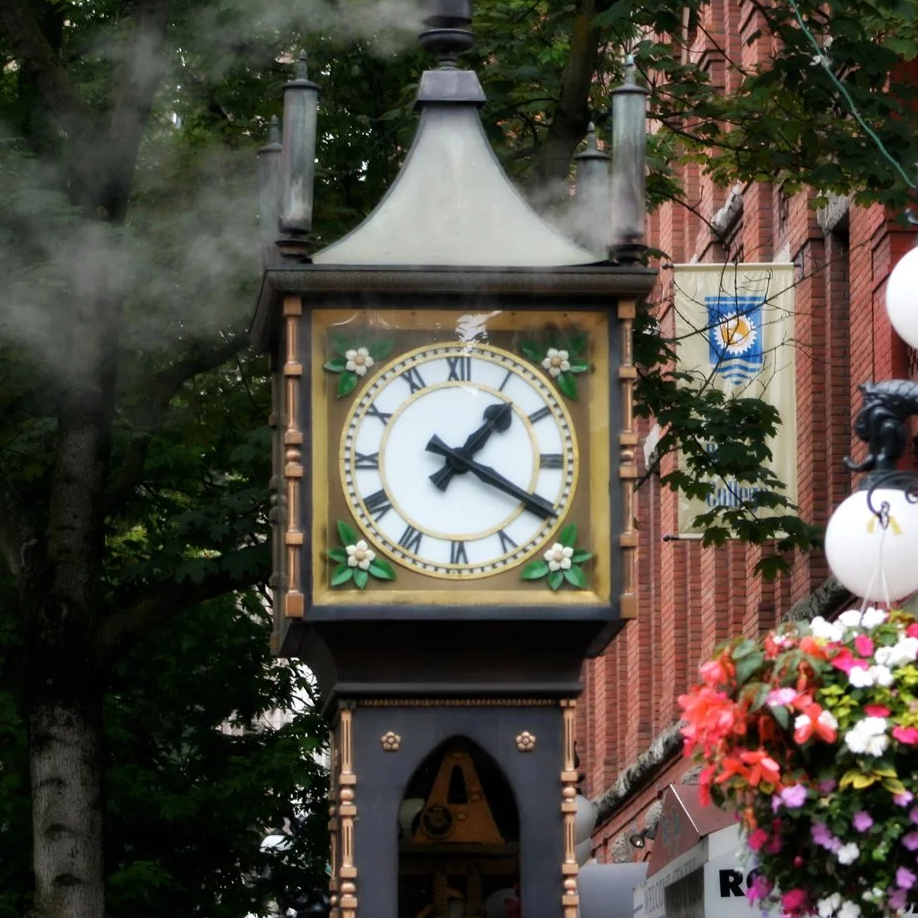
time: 1:20
